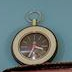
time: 3:34
